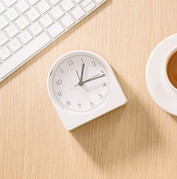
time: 1:16
